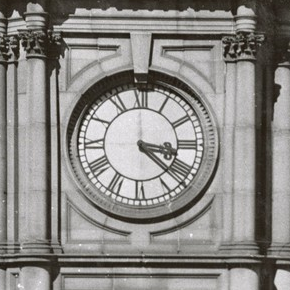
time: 3:21
